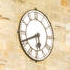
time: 5:41
